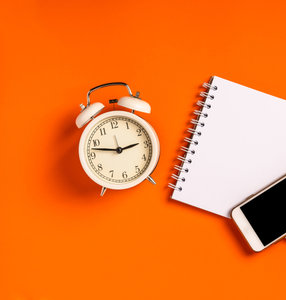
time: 2:47
